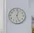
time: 12:26
